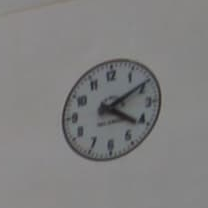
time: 4:09
